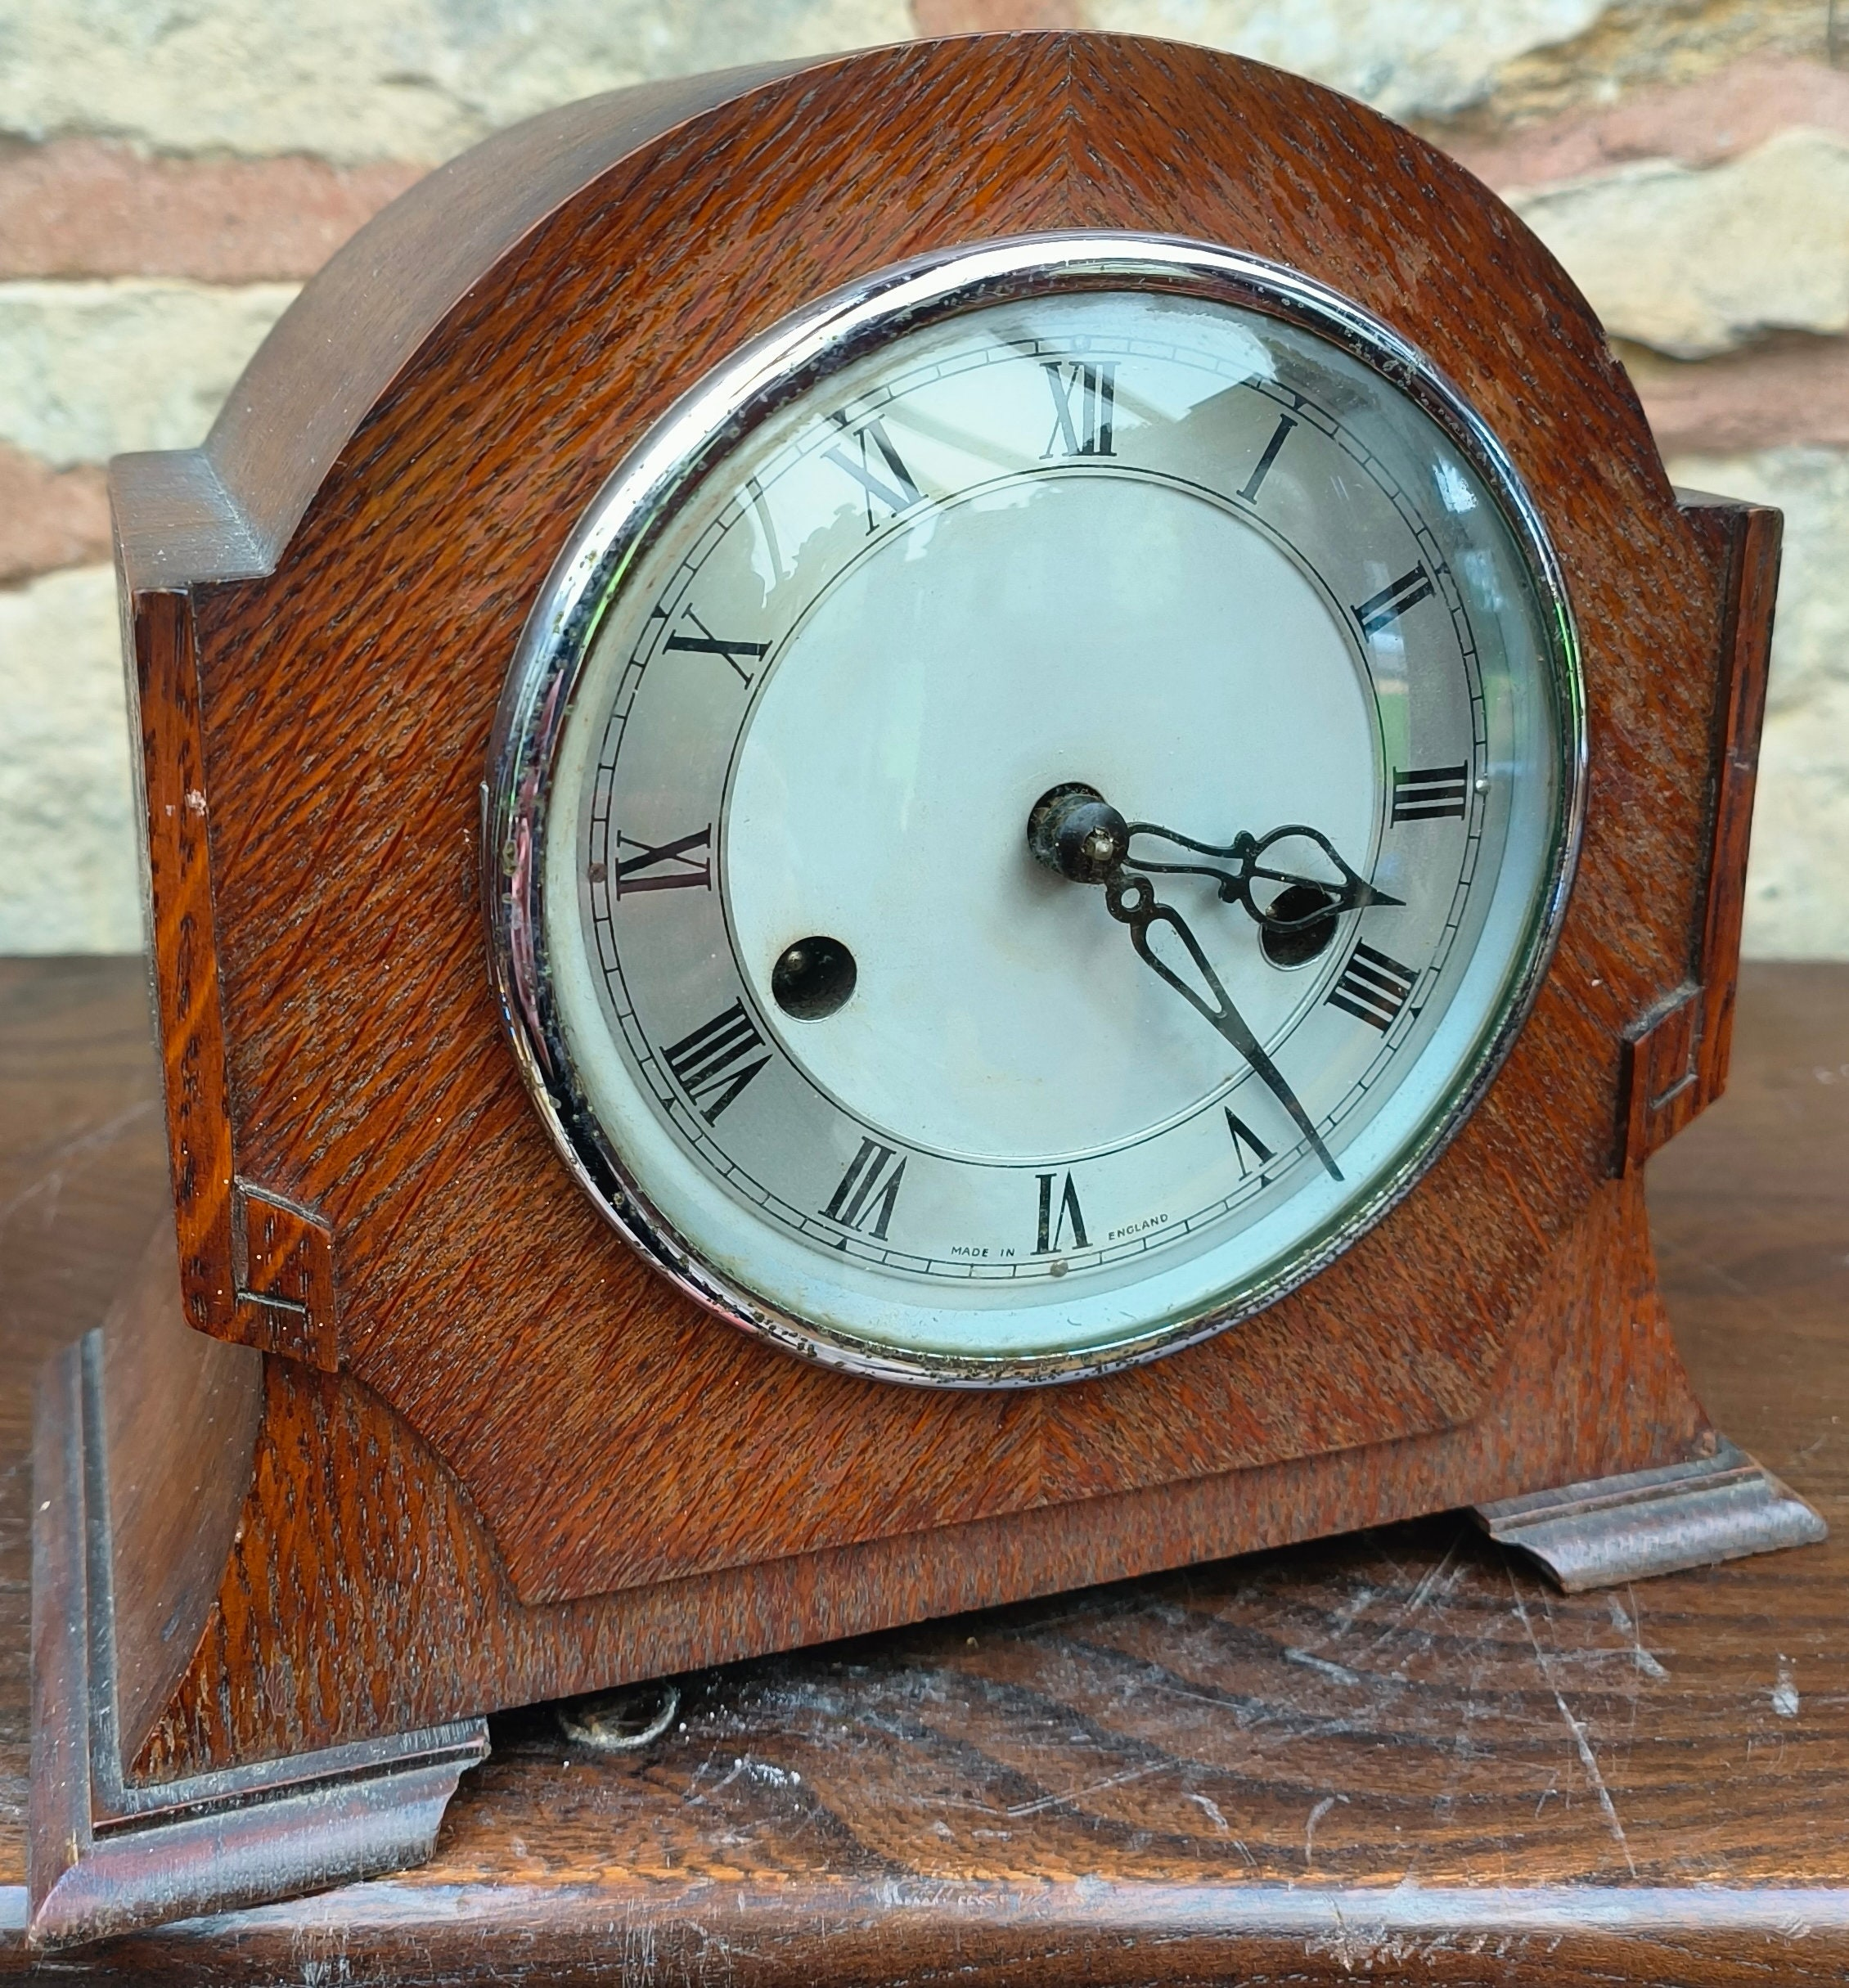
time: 3:23
